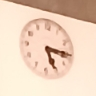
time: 5:15
